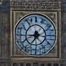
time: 8:35
